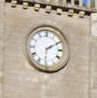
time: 2:09
